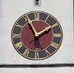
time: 1:55
